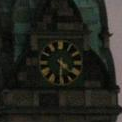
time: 4:30
